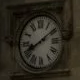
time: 8:09
